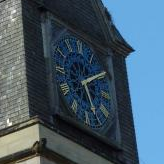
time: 5:09
